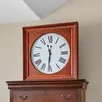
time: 11:31
